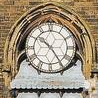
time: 10:24
